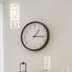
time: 1:16
